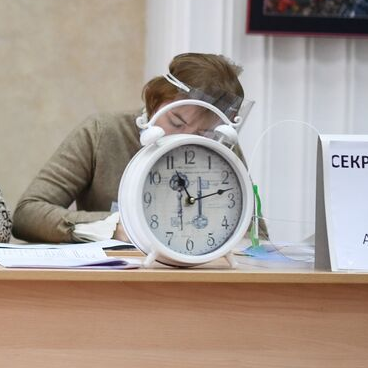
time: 11:12
